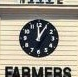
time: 12:59
